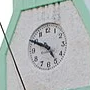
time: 4:49
